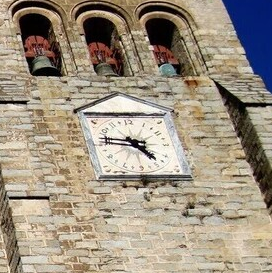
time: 4:46
